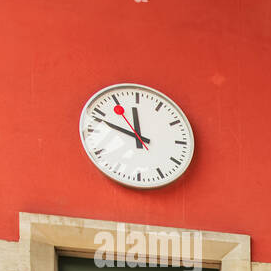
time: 11:48
